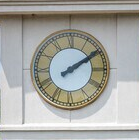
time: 2:09
